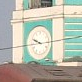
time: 9:43
